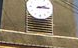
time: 2:15
